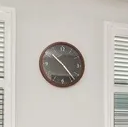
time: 10:23
